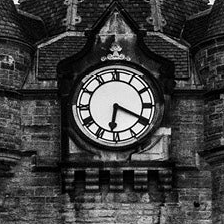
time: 6:19
